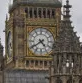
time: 4:39
